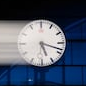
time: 5:18
